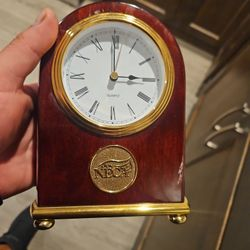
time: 2:59
